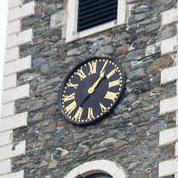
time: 1:36
